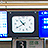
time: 10:39
